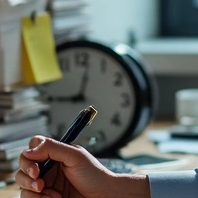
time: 9:01
